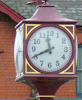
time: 11:40
